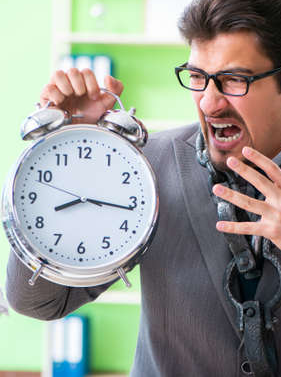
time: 8:16
